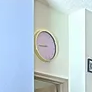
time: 8:43
